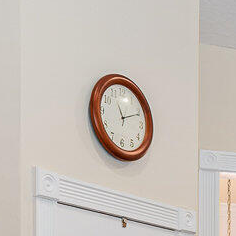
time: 11:10
